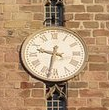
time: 9:32
